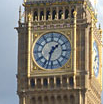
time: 1:32
